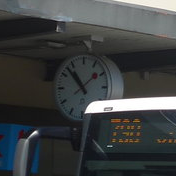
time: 10:53
